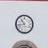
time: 10:43
